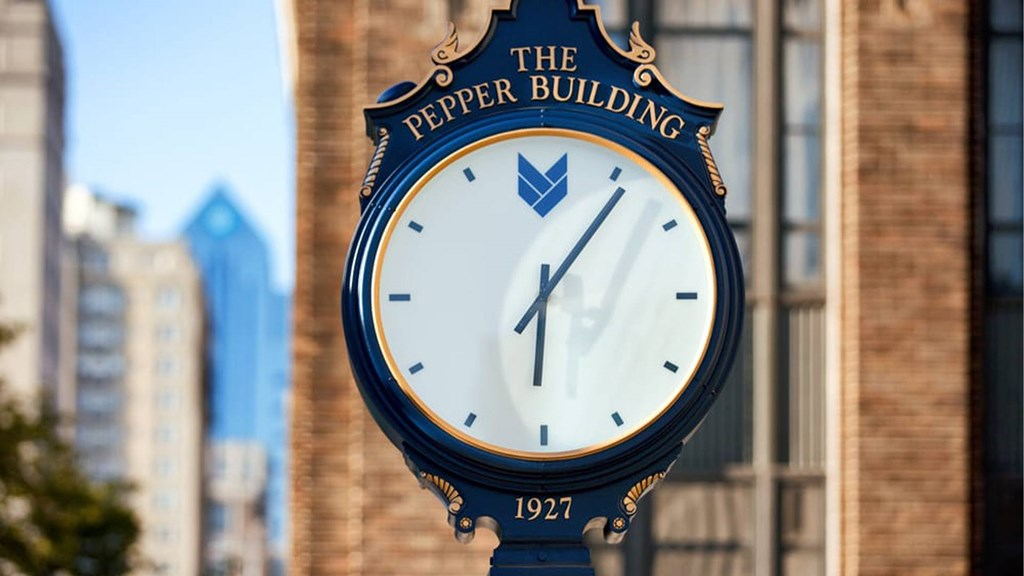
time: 6:06
